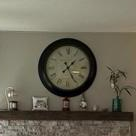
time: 1:25
